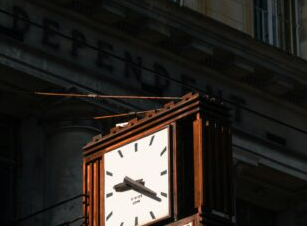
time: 9:20
